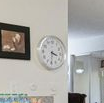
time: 3:30
